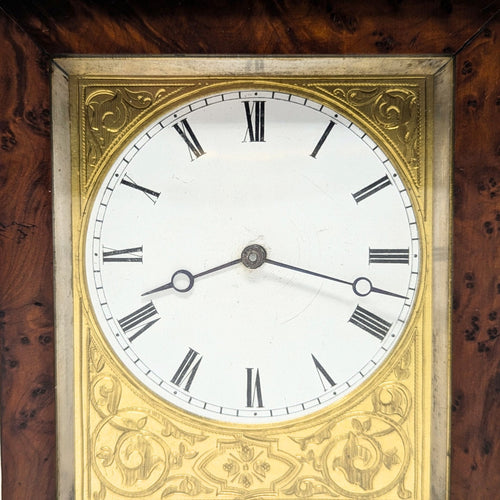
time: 8:17
